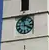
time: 11:19
